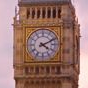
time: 4:10
